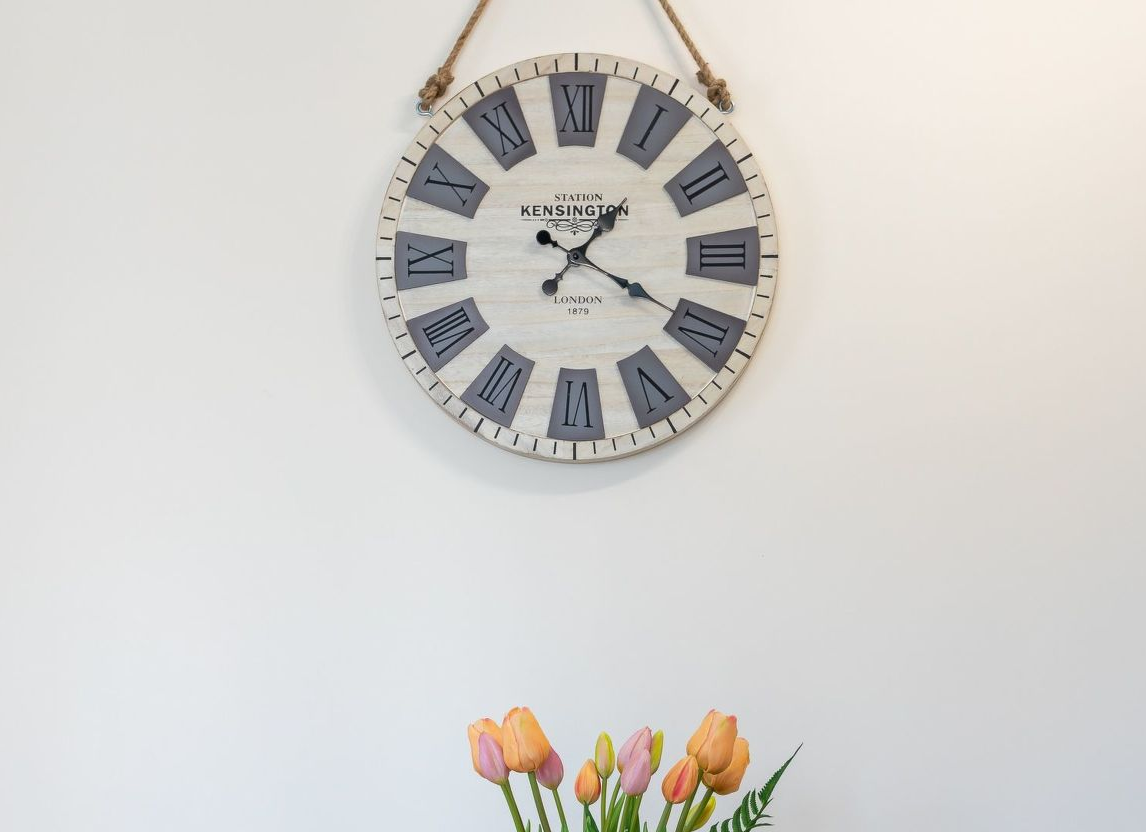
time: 1:19
